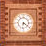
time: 6:21
